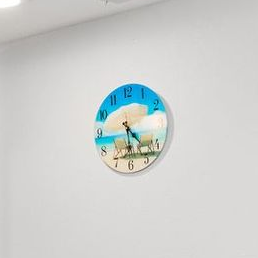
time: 4:30
